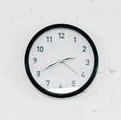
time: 2:40
